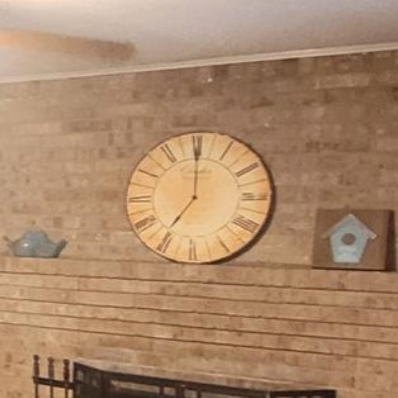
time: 7:00
